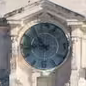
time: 10:43
